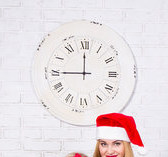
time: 11:44
